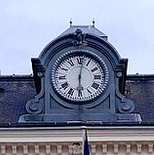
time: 6:01
